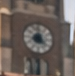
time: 3:58
